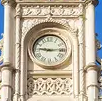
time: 9:13
